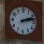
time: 2:12
